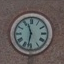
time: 11:32
